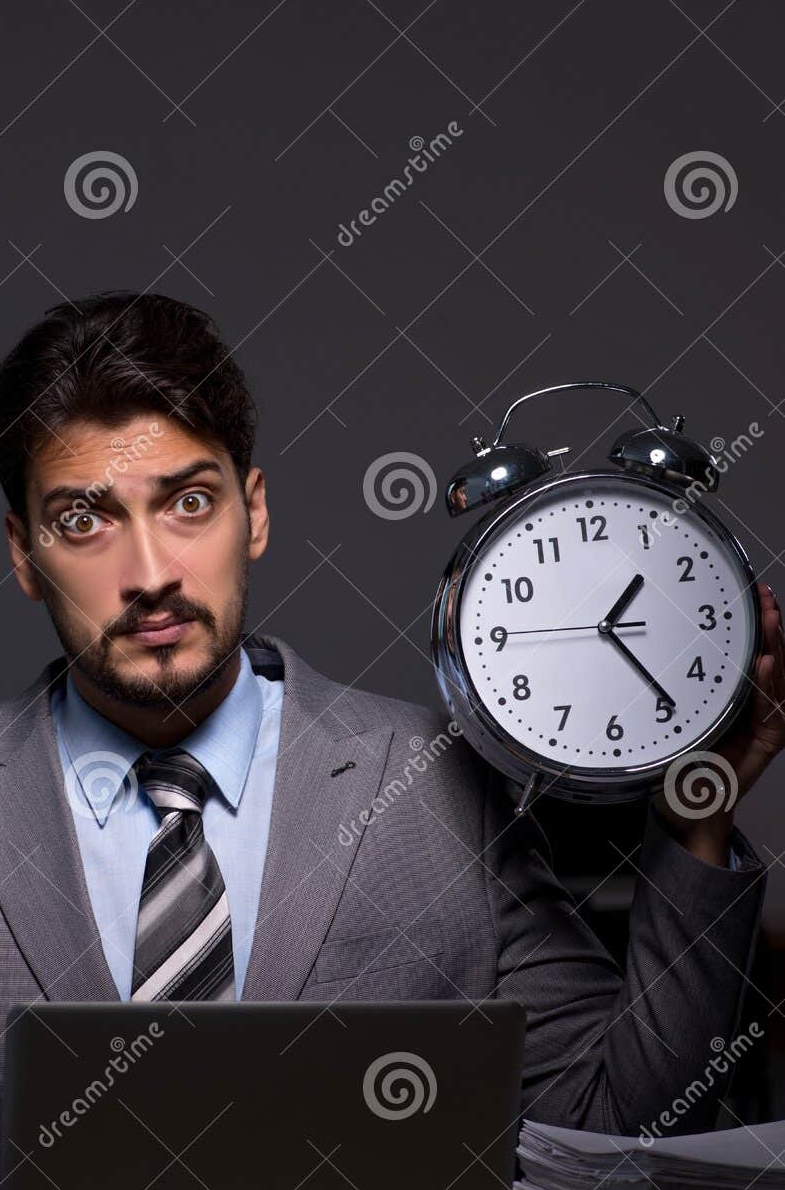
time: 1:23
